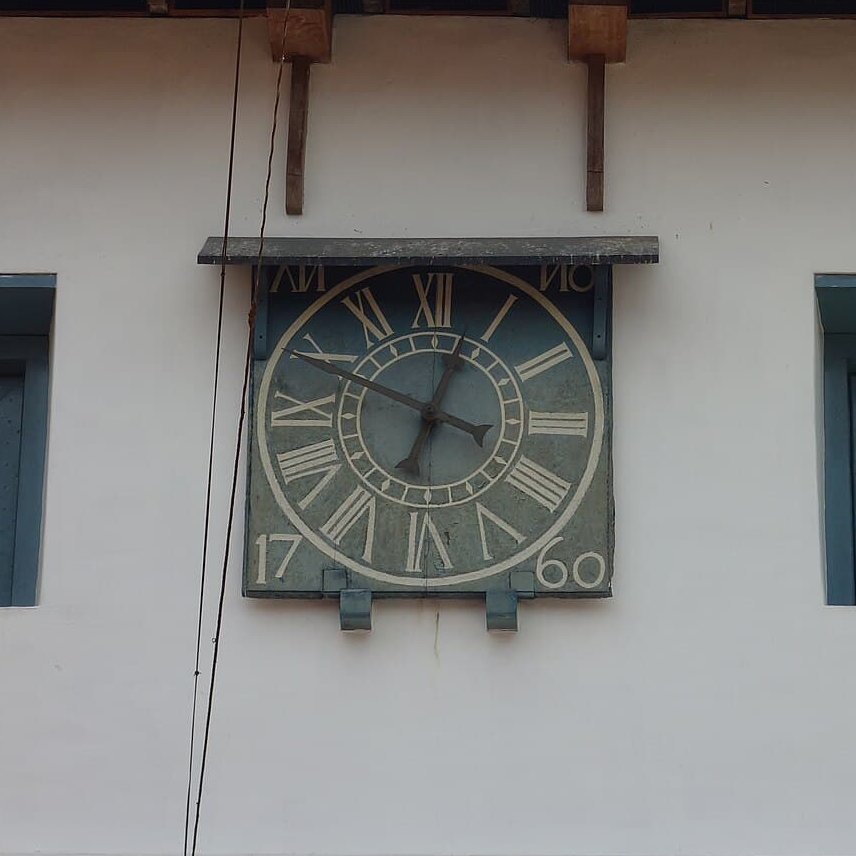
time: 12:49
